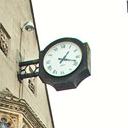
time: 1:18
